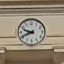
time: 9:41
